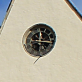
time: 12:16
